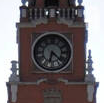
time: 6:22
